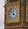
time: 11:51
